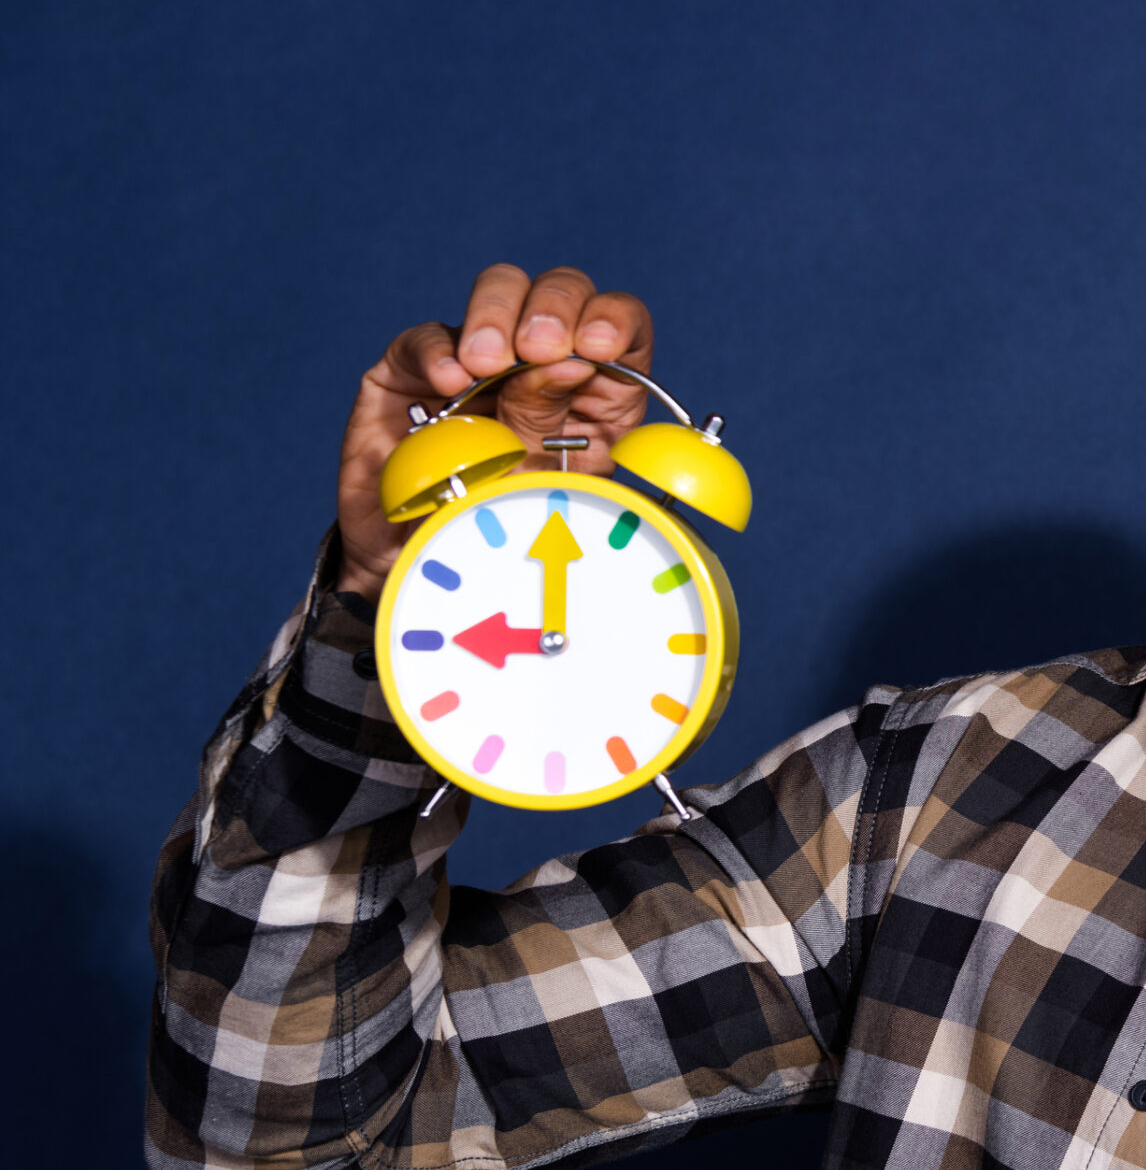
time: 9:00
